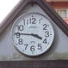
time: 3:45
